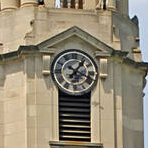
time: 1:18
